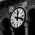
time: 12:18
